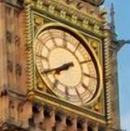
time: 7:40
